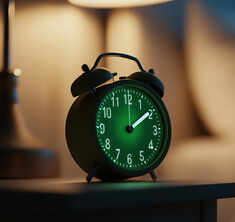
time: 2:09
